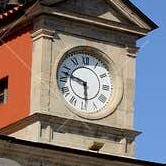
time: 5:47
